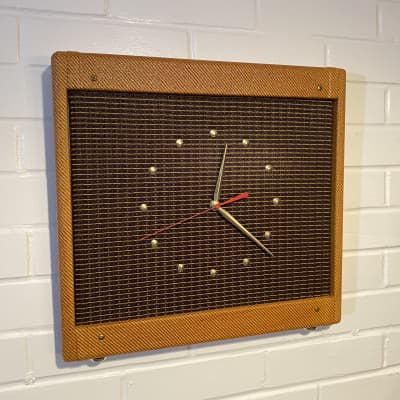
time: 12:22
